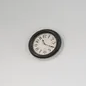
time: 11:19
